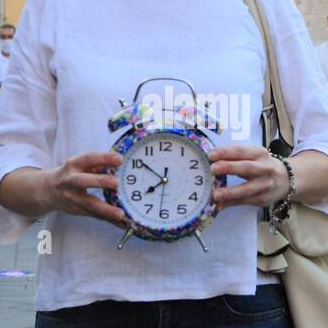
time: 7:51
